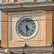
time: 5:30
